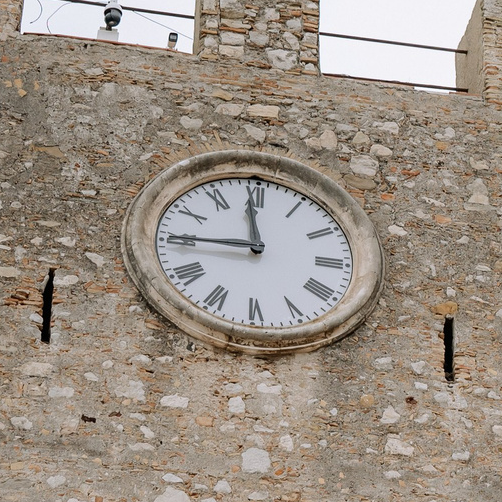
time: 11:45
